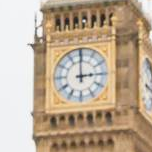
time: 2:59
